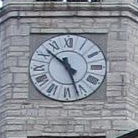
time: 10:26
